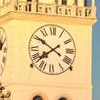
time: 7:50
